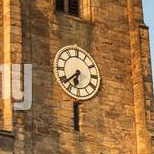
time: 6:38
